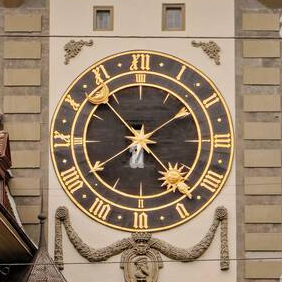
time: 6:23
